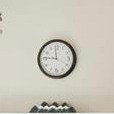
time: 11:46
